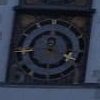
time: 12:18
